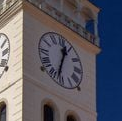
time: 12:32
